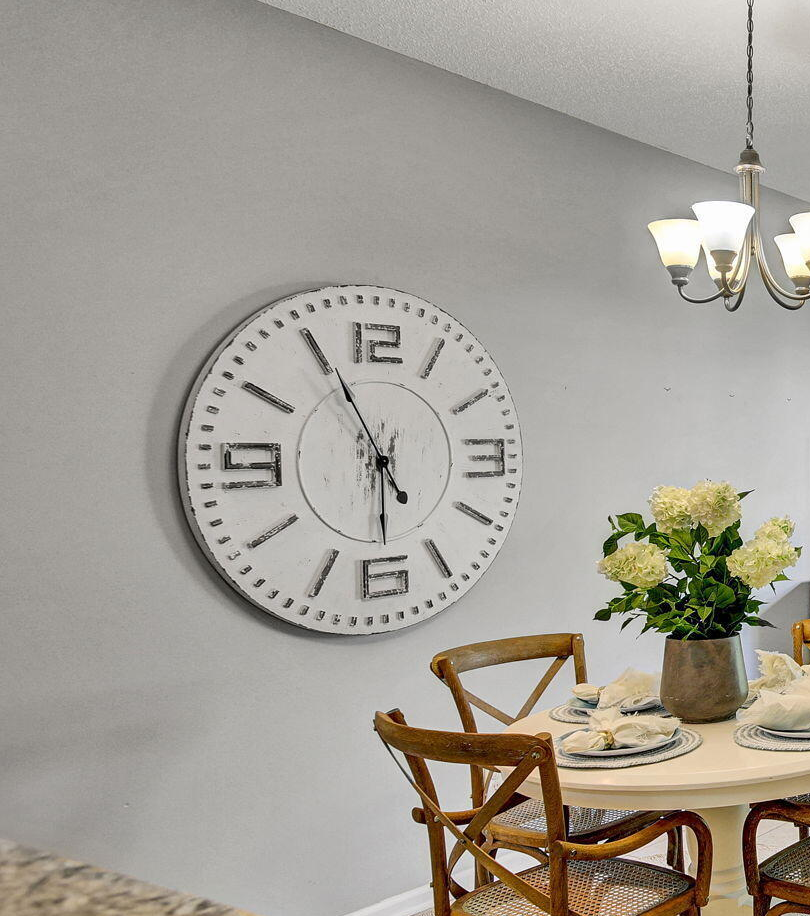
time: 5:55
